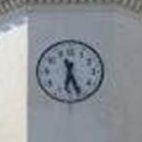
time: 6:26
